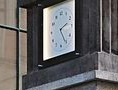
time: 2:24
